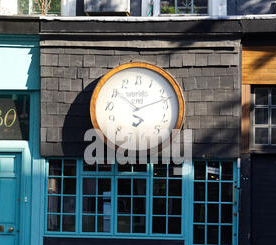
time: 10:12
